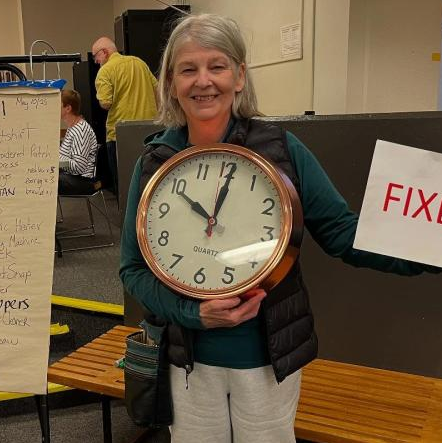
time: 10:00
